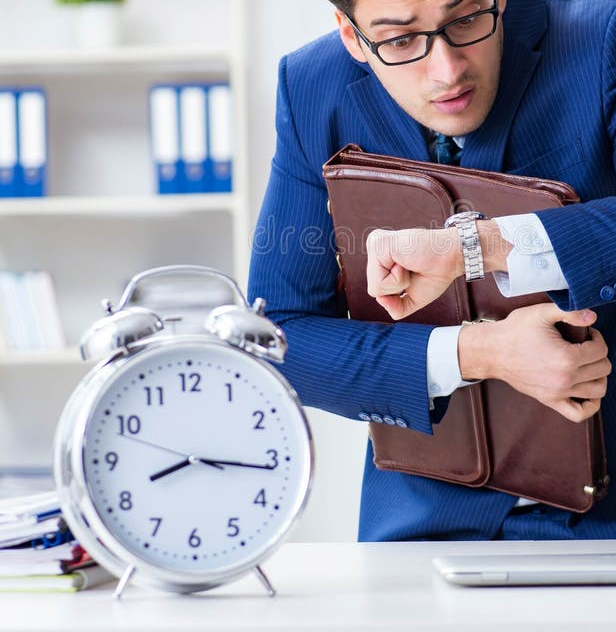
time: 8:16
